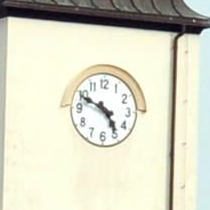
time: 4:48
